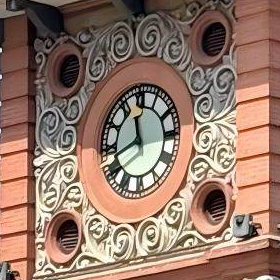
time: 11:41
